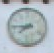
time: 7:44
